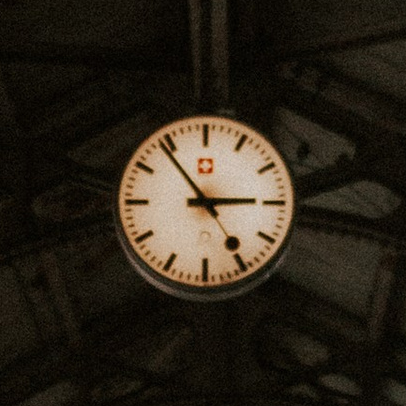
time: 2:53
